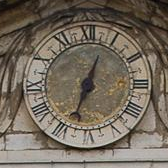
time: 12:33
